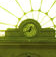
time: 12:41
